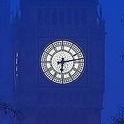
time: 6:13
